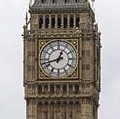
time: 12:42
